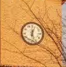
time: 12:27
